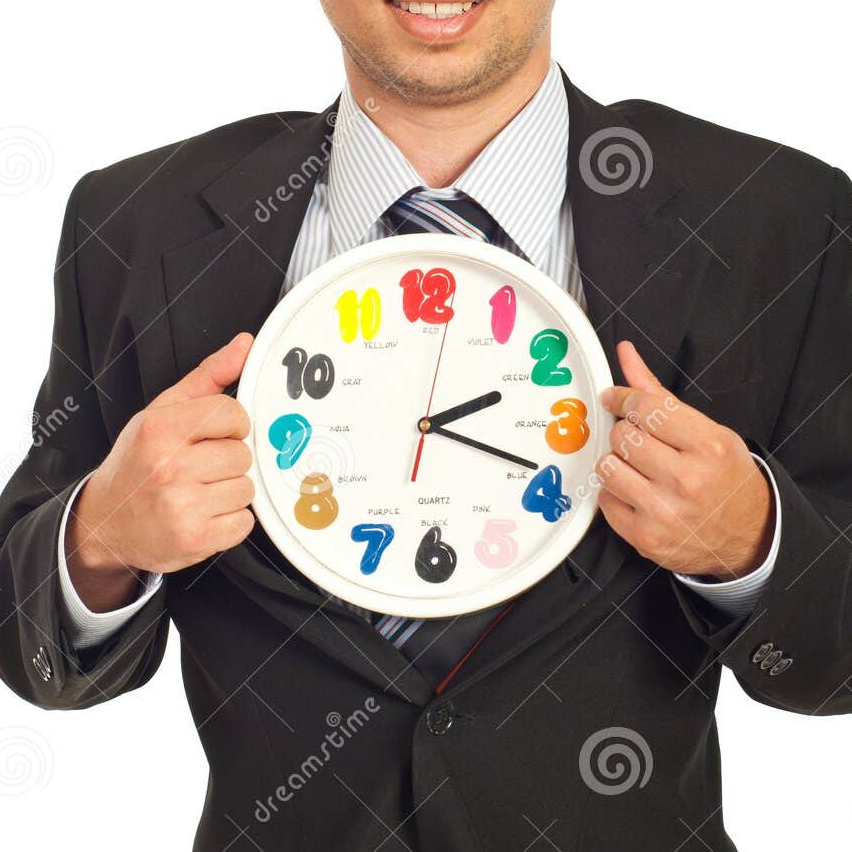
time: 2:18
